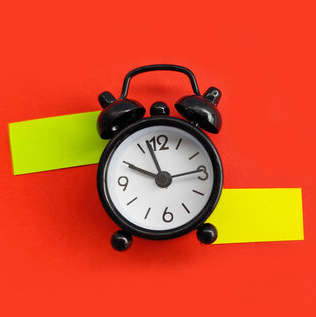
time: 9:57
